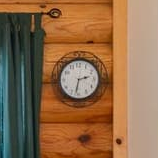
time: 2:32
